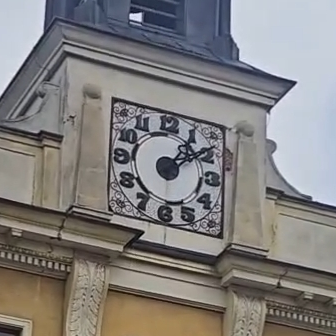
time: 1:09
